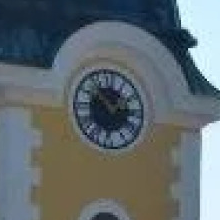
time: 2:53
